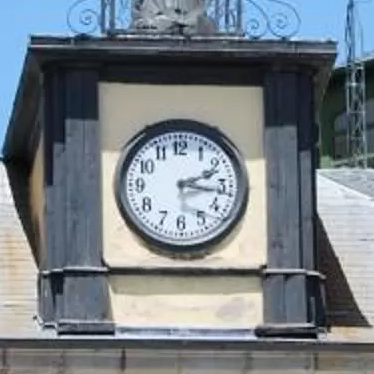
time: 2:16
